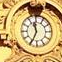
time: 11:34
